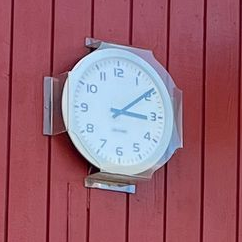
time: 3:09
